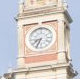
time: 8:34
